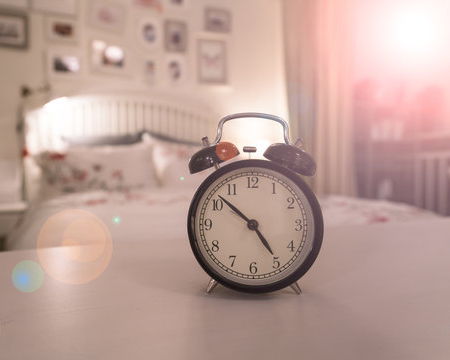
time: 4:52
